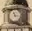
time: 11:17
